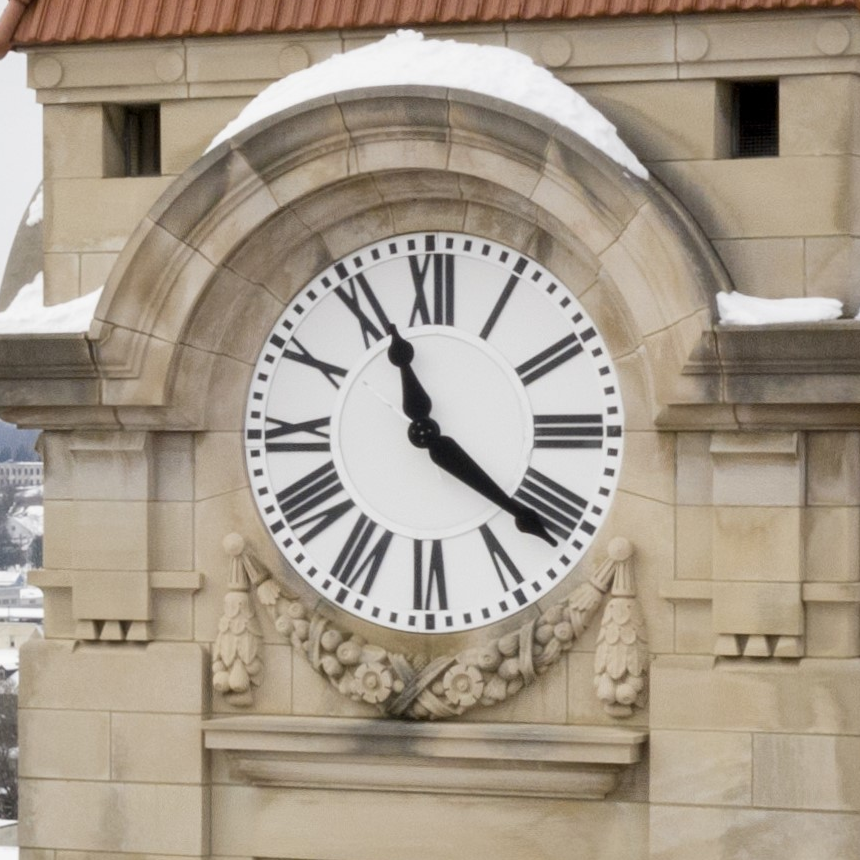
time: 11:21
